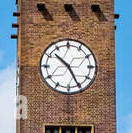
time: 10:25
